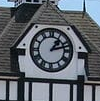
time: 1:12
